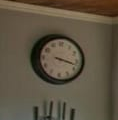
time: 3:17
